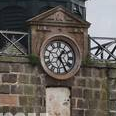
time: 1:24
